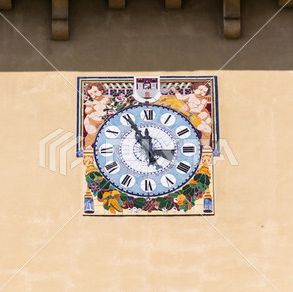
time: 11:55
